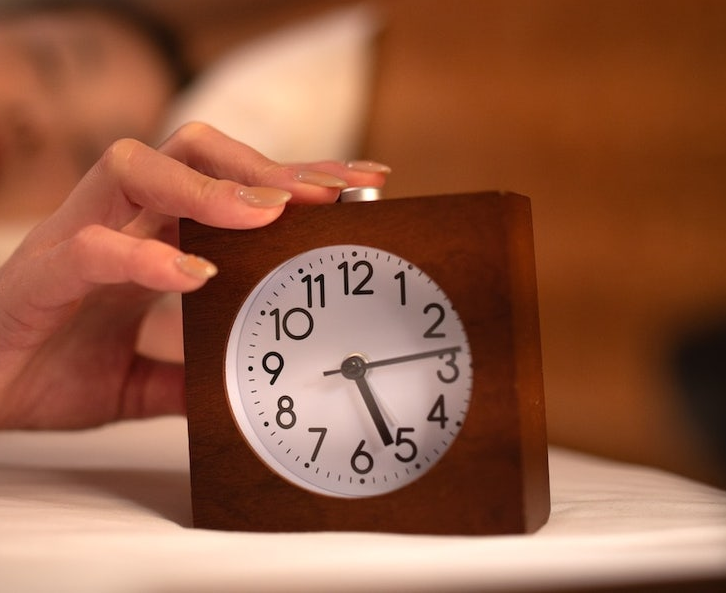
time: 5:13
